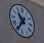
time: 10:35
